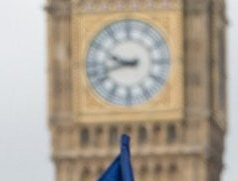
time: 9:42
